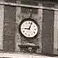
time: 9:03
